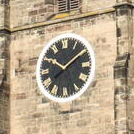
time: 10:08
